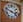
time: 3:48
